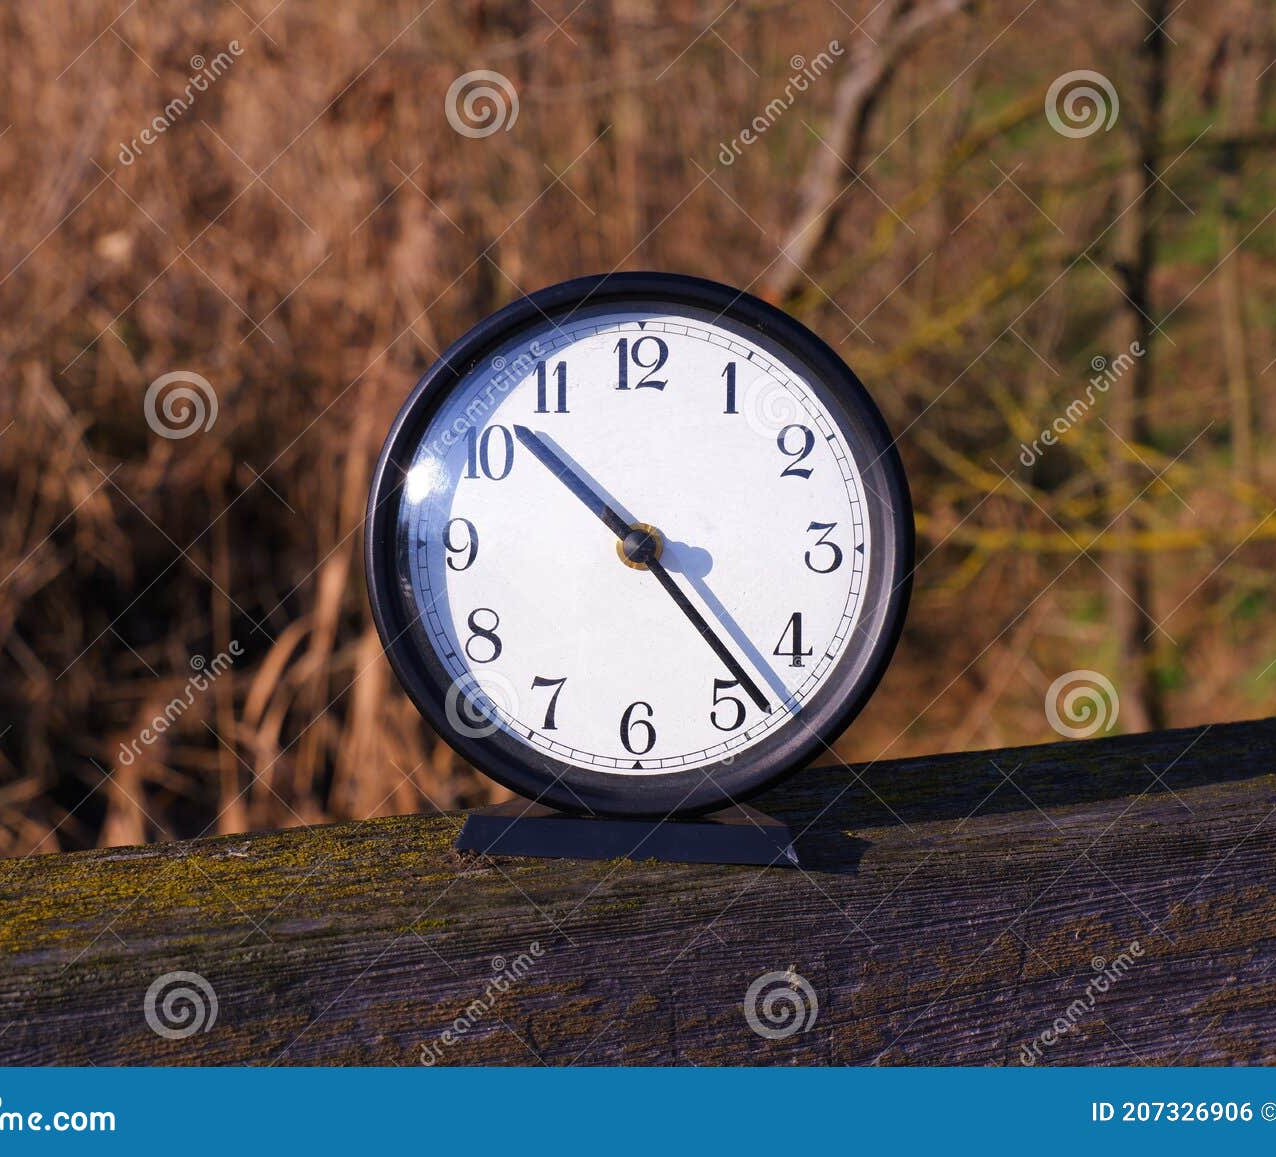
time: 10:23
